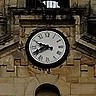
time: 9:40
